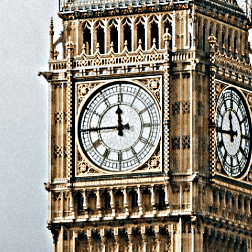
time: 11:44
